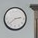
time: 2:38
